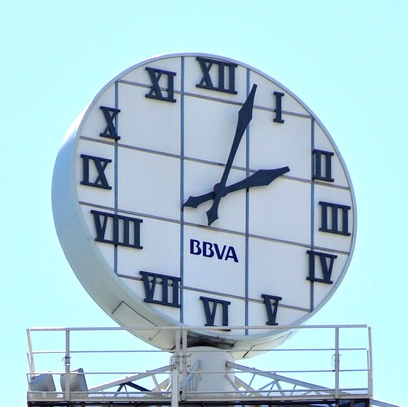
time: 2:02
